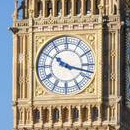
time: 10:17
